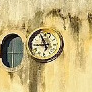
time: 8:56
